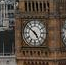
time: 4:51
